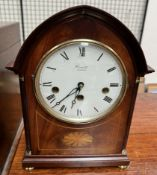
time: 6:37
